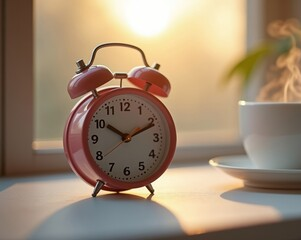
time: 10:11
